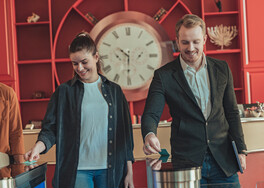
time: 10:30
